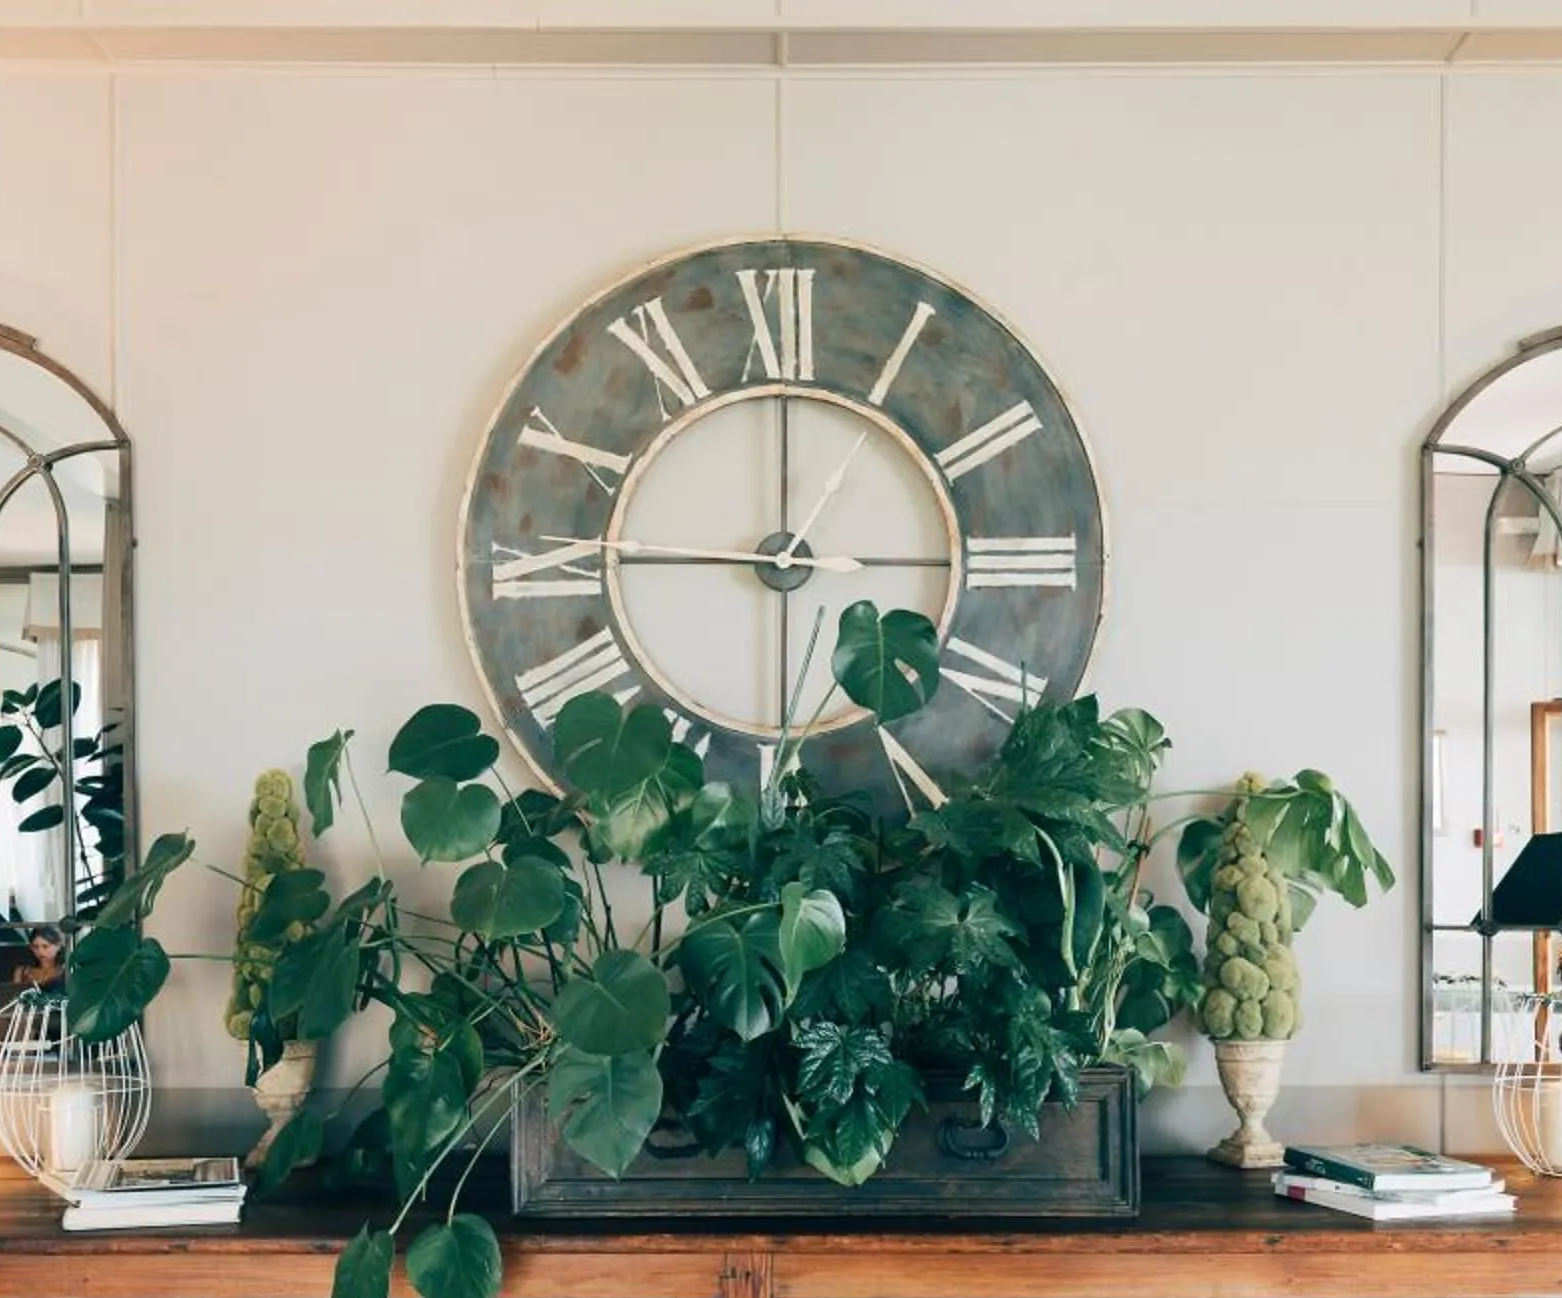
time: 9:00
